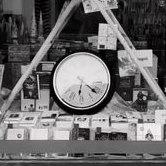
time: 6:21
